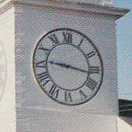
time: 9:16
